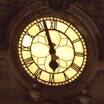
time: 5:56
